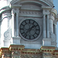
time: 1:37
